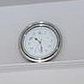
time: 10:28
